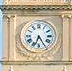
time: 6:24
